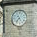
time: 7:24
